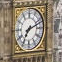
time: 7:11
